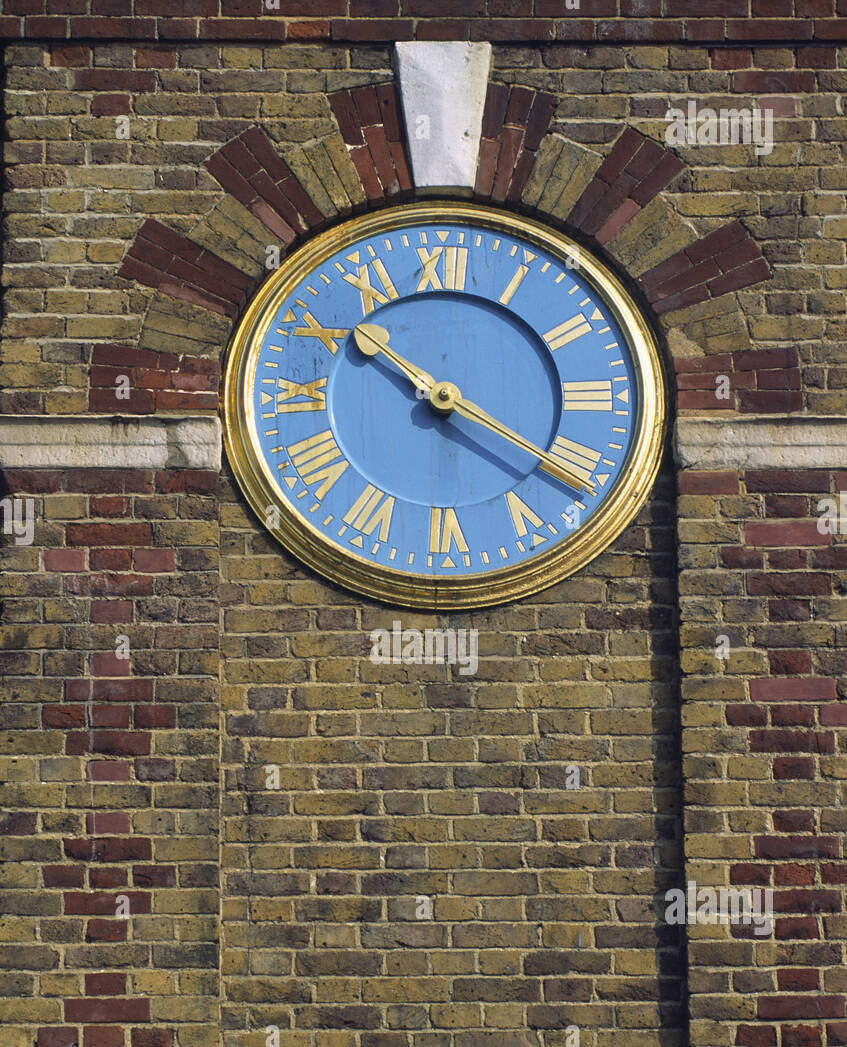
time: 10:20
